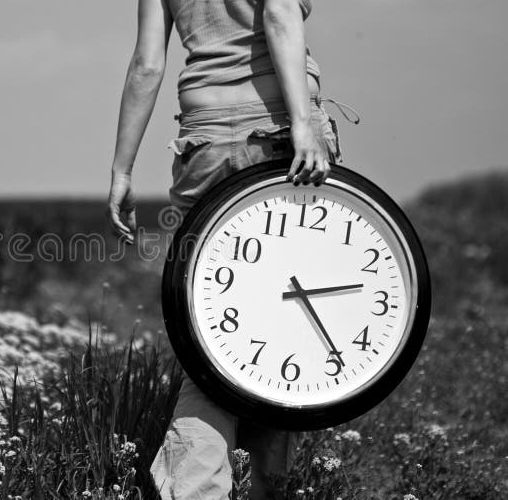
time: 2:23
